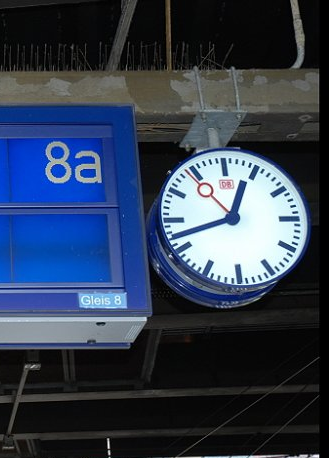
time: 12:42
